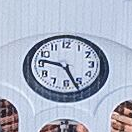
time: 9:26
